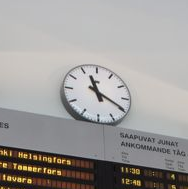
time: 11:19
